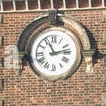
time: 11:12
